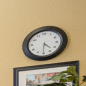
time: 4:30
